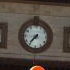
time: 7:36
